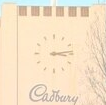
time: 3:13
